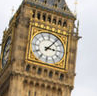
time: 3:06
